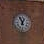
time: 12:55
